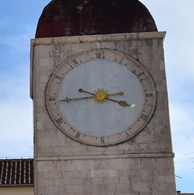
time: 3:44
